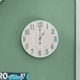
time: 1:00
